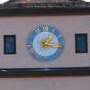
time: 1:16
